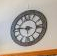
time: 5:46
